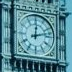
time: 12:12
